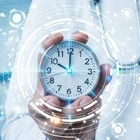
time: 10:00
